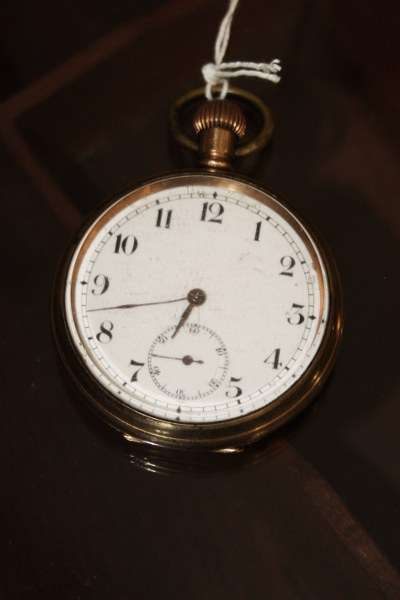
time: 6:42
